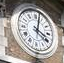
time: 4:02
